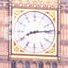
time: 8:14
